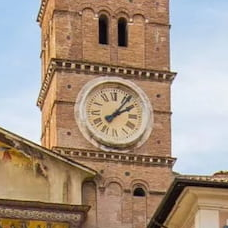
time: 2:06
